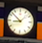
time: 8:52
